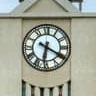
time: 6:19
